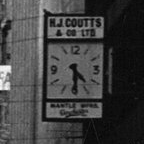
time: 4:30
